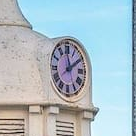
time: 1:59
